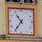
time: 10:36
